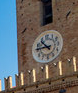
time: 10:45
